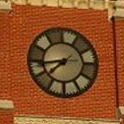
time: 7:43
